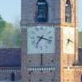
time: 7:17
